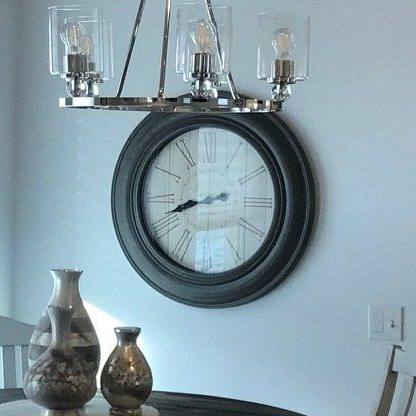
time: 8:41
